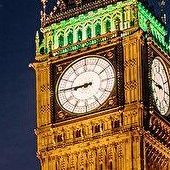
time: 8:45
